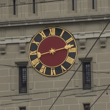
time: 8:12
